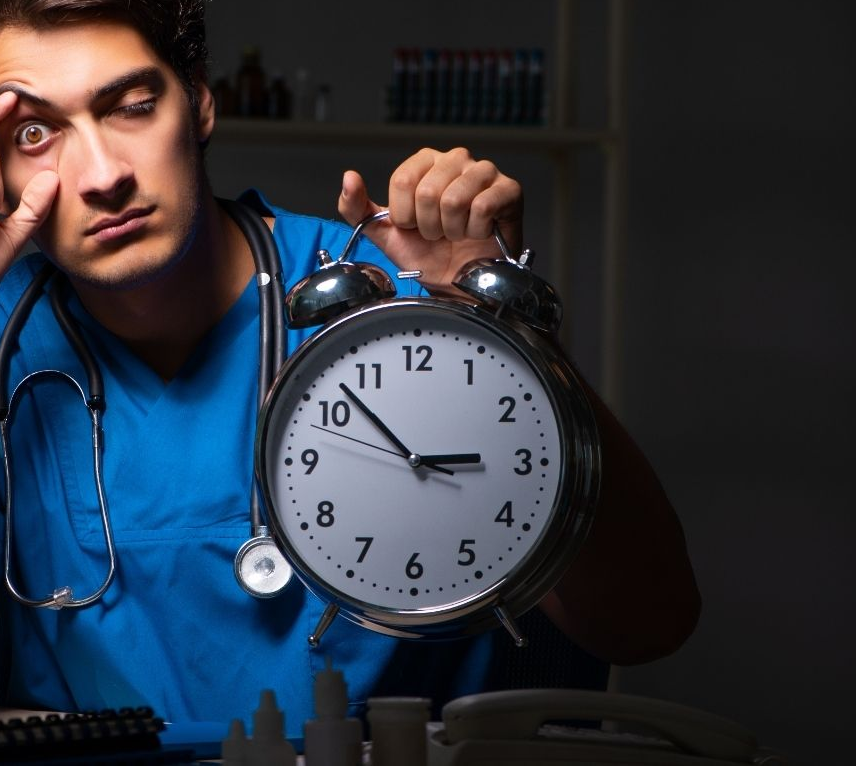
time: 2:52
